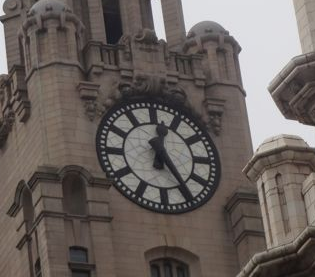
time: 12:24
